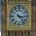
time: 3:23
